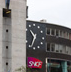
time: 10:34
